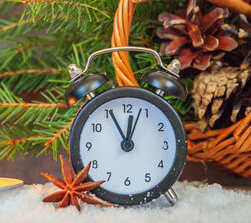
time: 11:55
